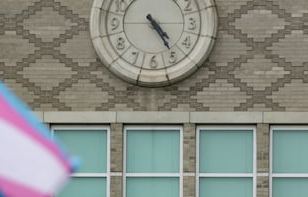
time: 4:24
